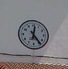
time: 12:23
